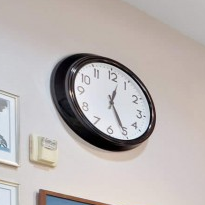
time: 12:25
